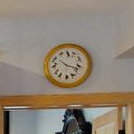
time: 10:17
